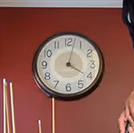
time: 4:02
